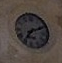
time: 7:11
